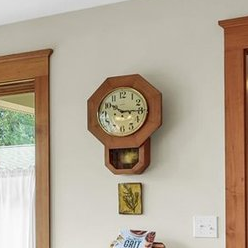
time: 10:14
